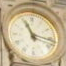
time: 11:17
